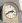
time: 2:40
